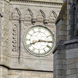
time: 8:15
